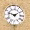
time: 1:47
